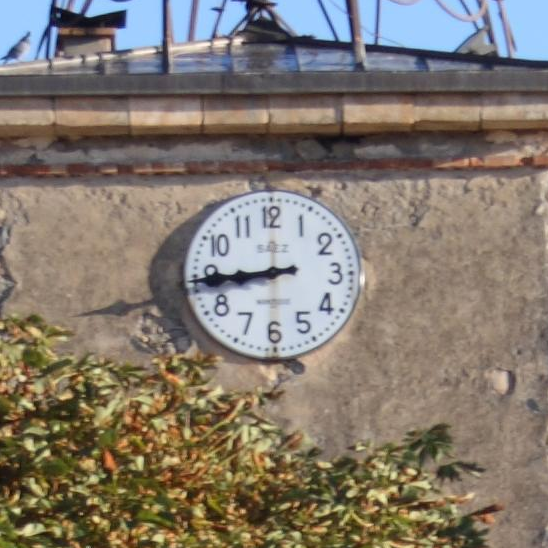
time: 8:44
